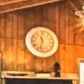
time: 11:32
